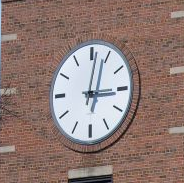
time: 3:02
